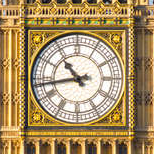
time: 10:43
